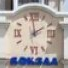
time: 1:59
